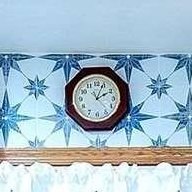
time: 2:04
